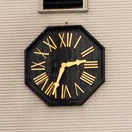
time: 2:33
